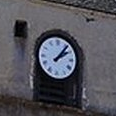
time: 2:06
